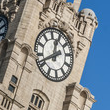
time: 12:41
